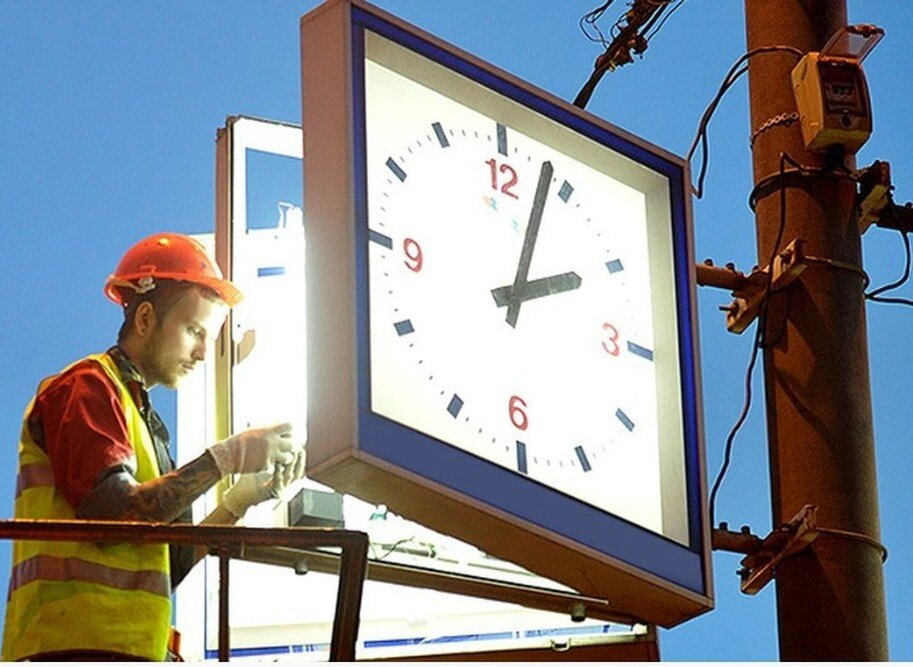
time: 2:03
